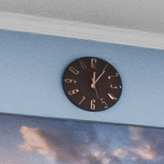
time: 12:05
